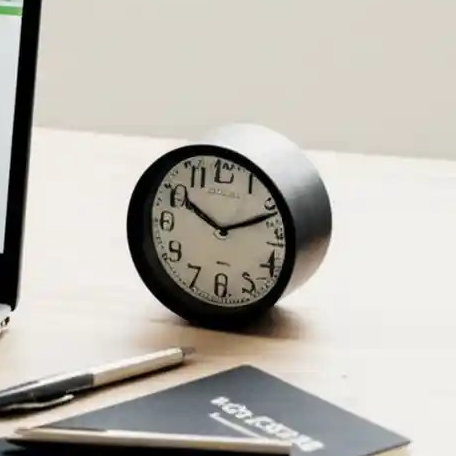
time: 10:11
